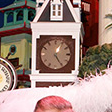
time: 12:24
